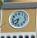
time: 8:33
